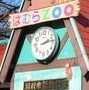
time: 2:13
